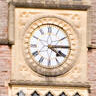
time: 4:14
